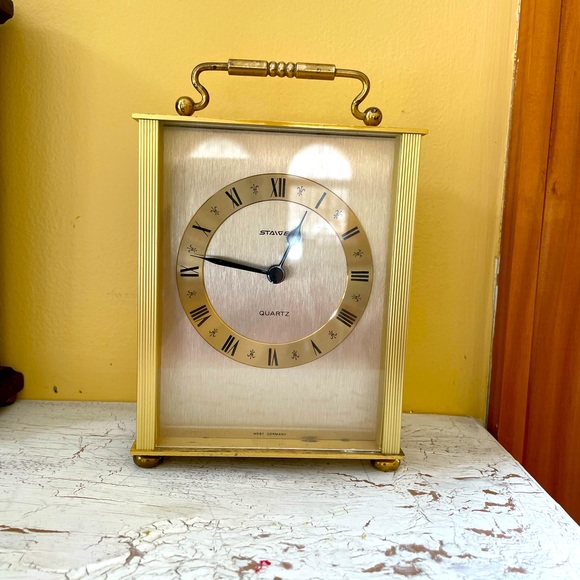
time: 12:46
